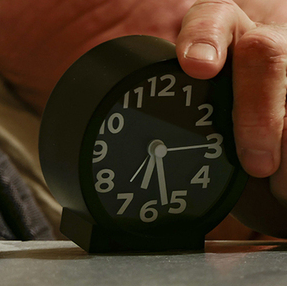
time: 6:27
